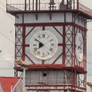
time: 7:50
